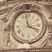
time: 3:58
